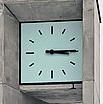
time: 3:14
